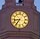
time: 8:36
